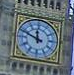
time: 11:48
